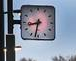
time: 8:32
